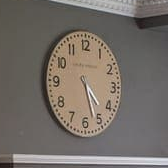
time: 4:26
